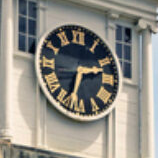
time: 2:33
